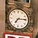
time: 7:14
